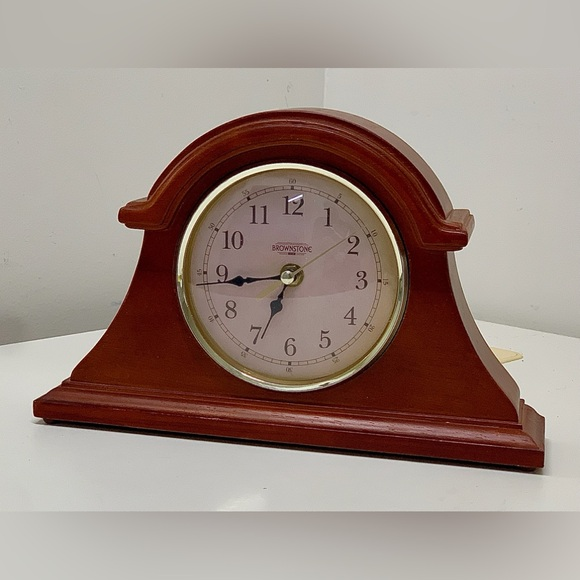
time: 6:43
